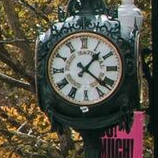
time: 1:21
